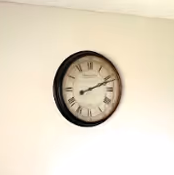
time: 2:11
